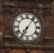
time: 7:06
